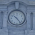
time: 10:23
